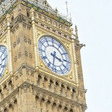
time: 3:32
